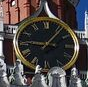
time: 9:06
